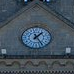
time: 1:24
